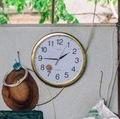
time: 1:45
